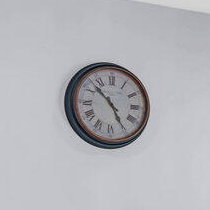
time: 4:52
